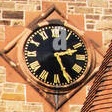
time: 2:25
